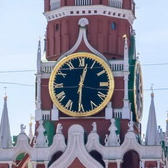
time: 12:30
